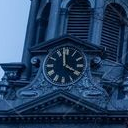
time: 3:58
